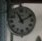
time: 11:10
